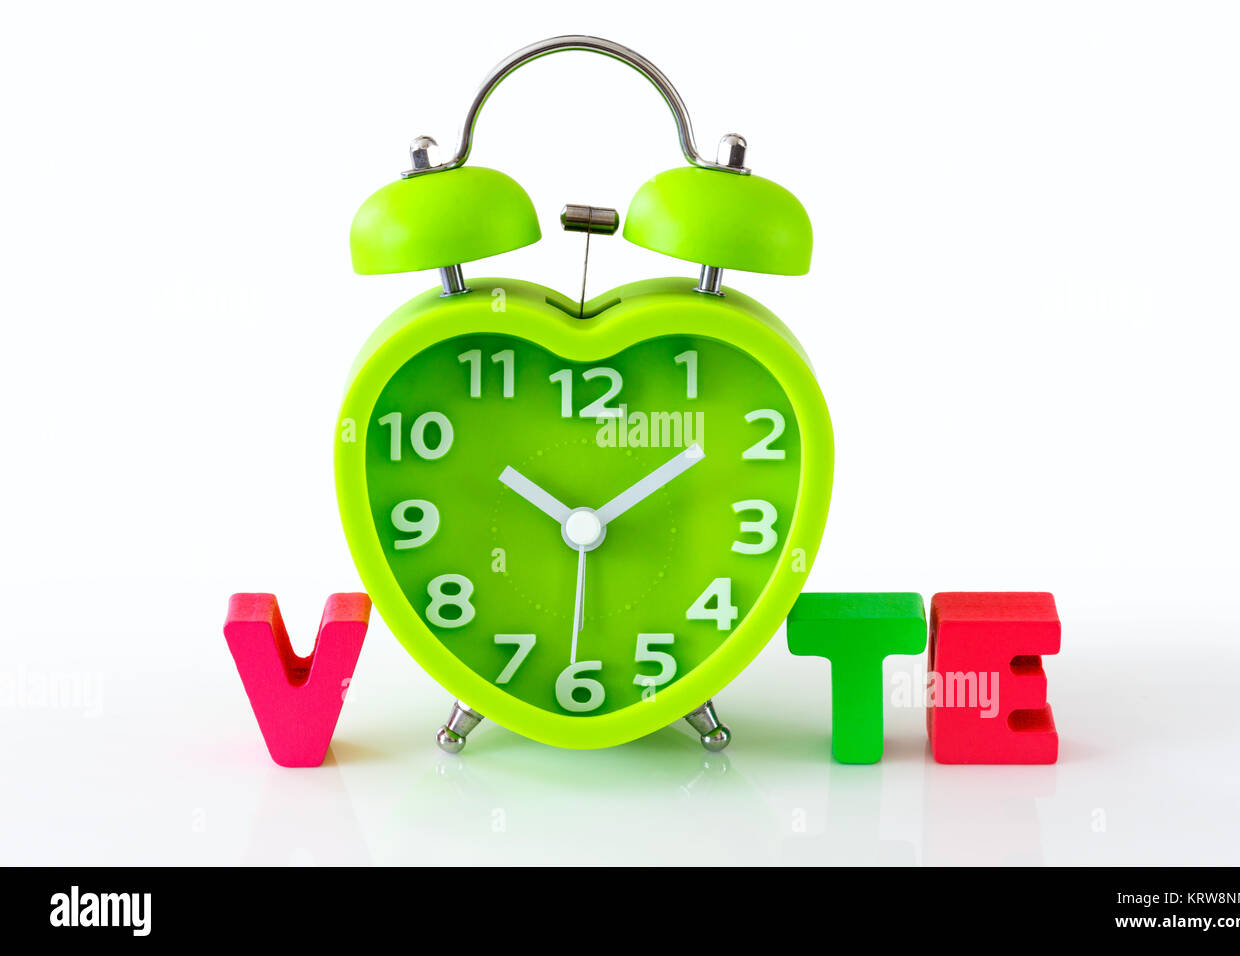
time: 10:09
